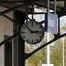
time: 2:52
